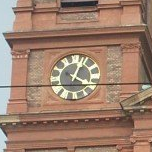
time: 4:03
